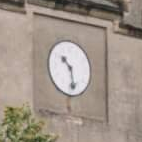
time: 10:28
